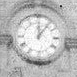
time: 12:06
